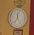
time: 11:37
